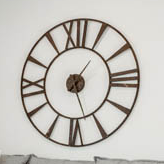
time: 1:26
